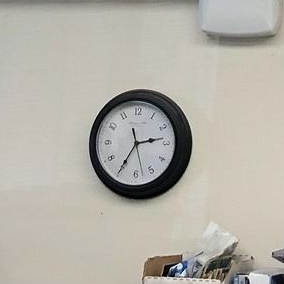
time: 2:35
